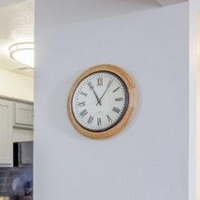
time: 11:05
